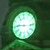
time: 9:15
